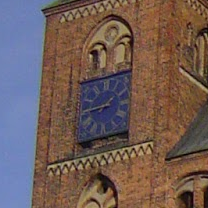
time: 1:43
